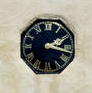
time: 2:17
